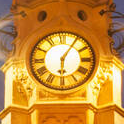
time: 6:05
